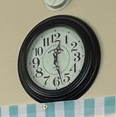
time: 12:27
